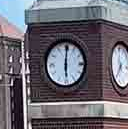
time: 6:00
